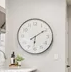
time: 6:09
